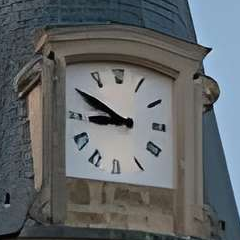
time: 8:50
